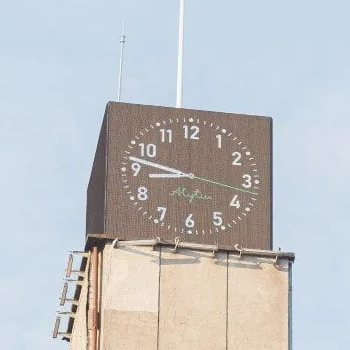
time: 8:47
